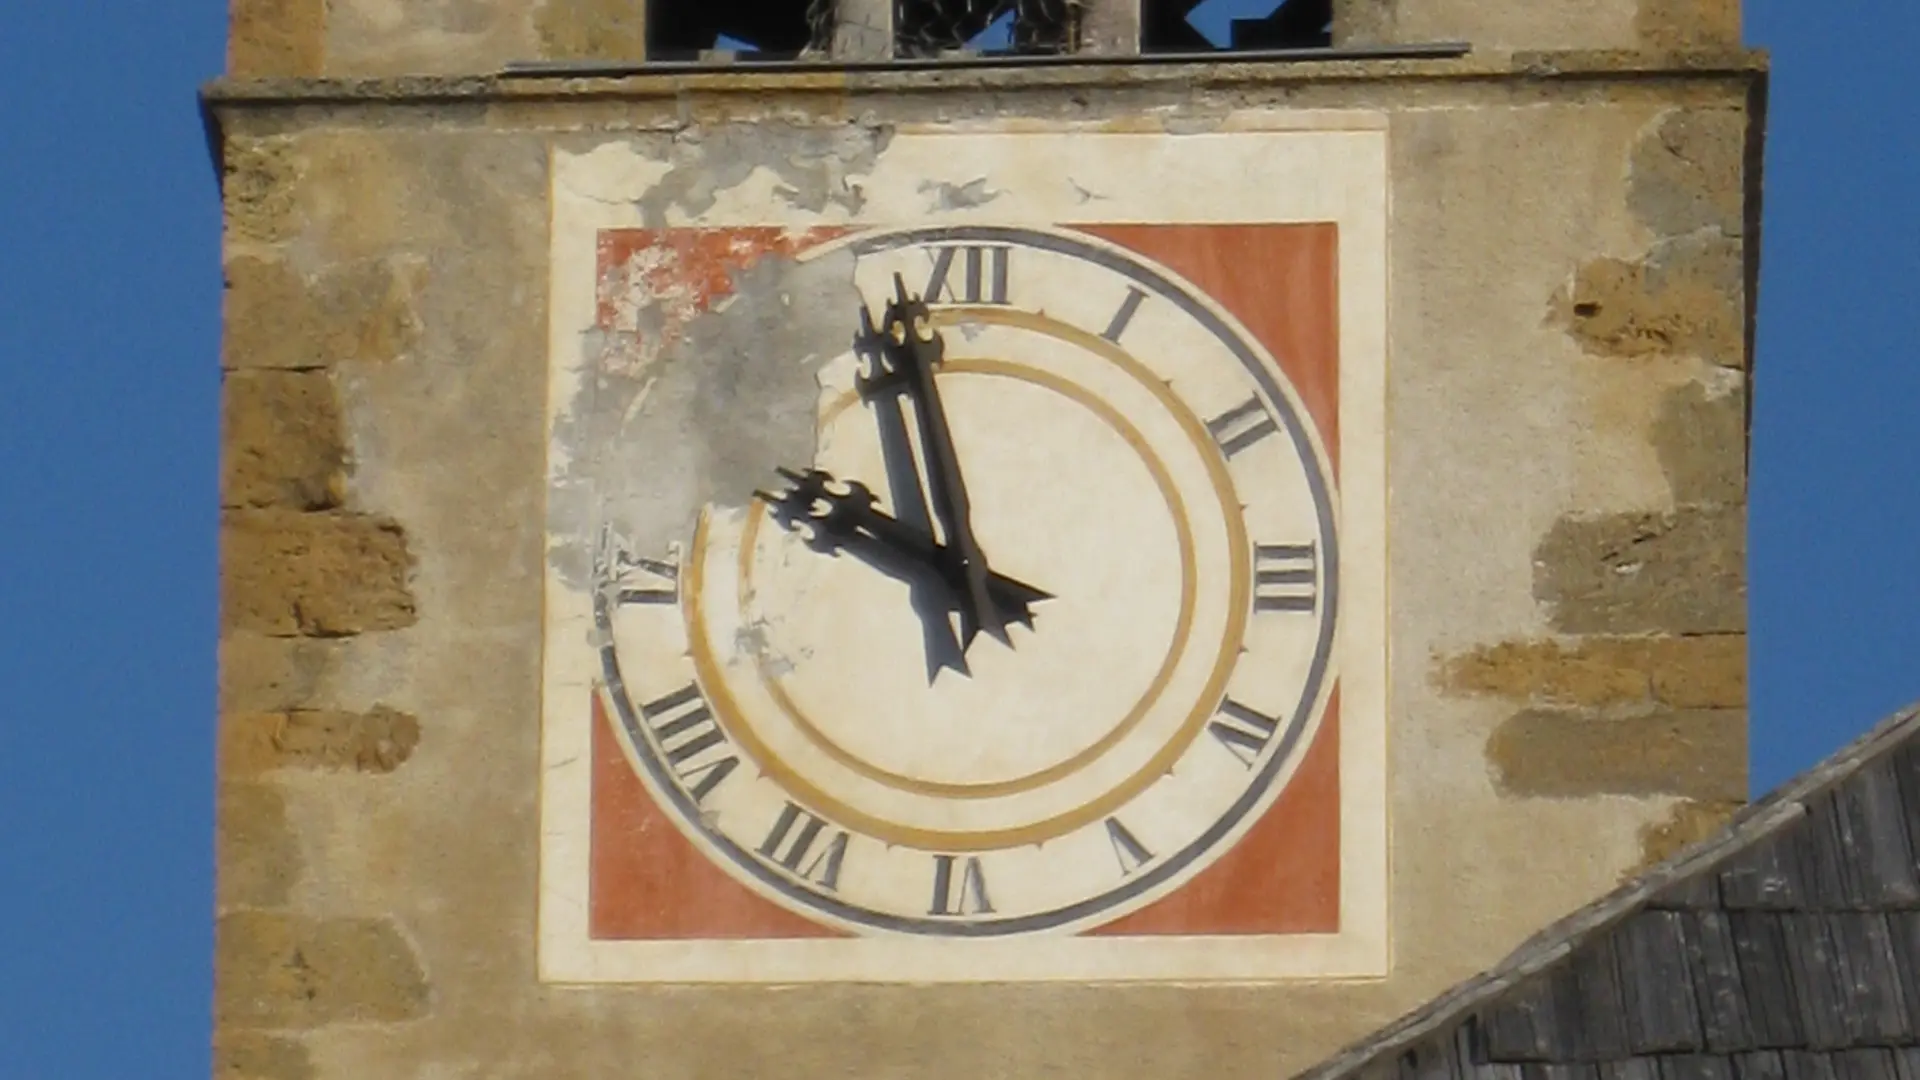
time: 9:57
